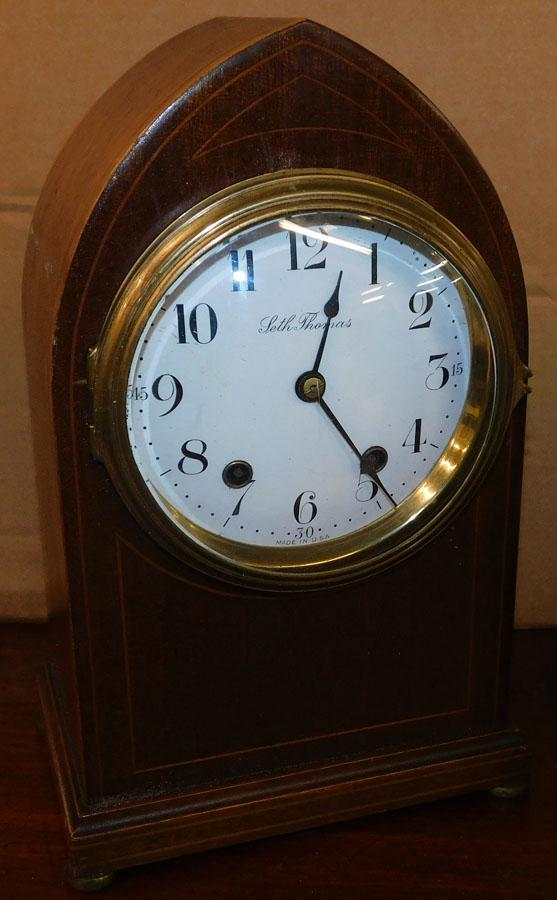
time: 12:23
